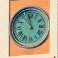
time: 10:58
